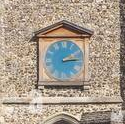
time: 2:14
